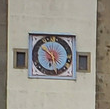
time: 5:50
